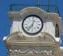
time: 12:36
